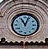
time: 11:03
